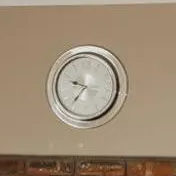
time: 9:36
